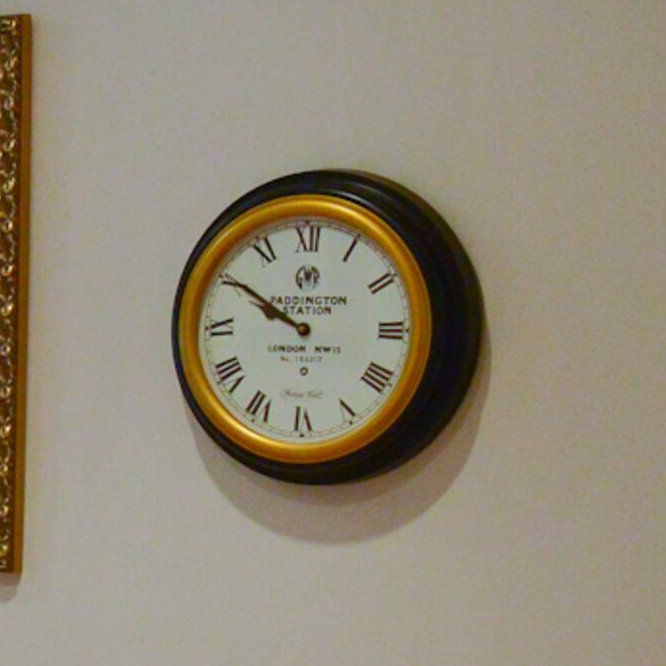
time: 9:50
